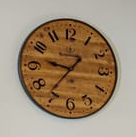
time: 9:36
